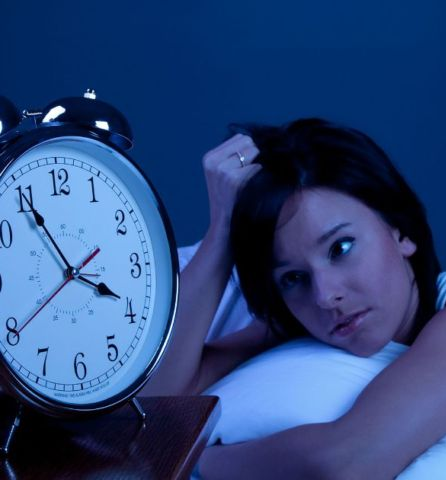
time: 3:54
